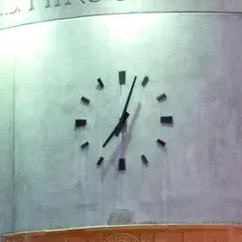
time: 7:03
